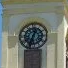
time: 12:32
